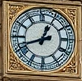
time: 12:42
